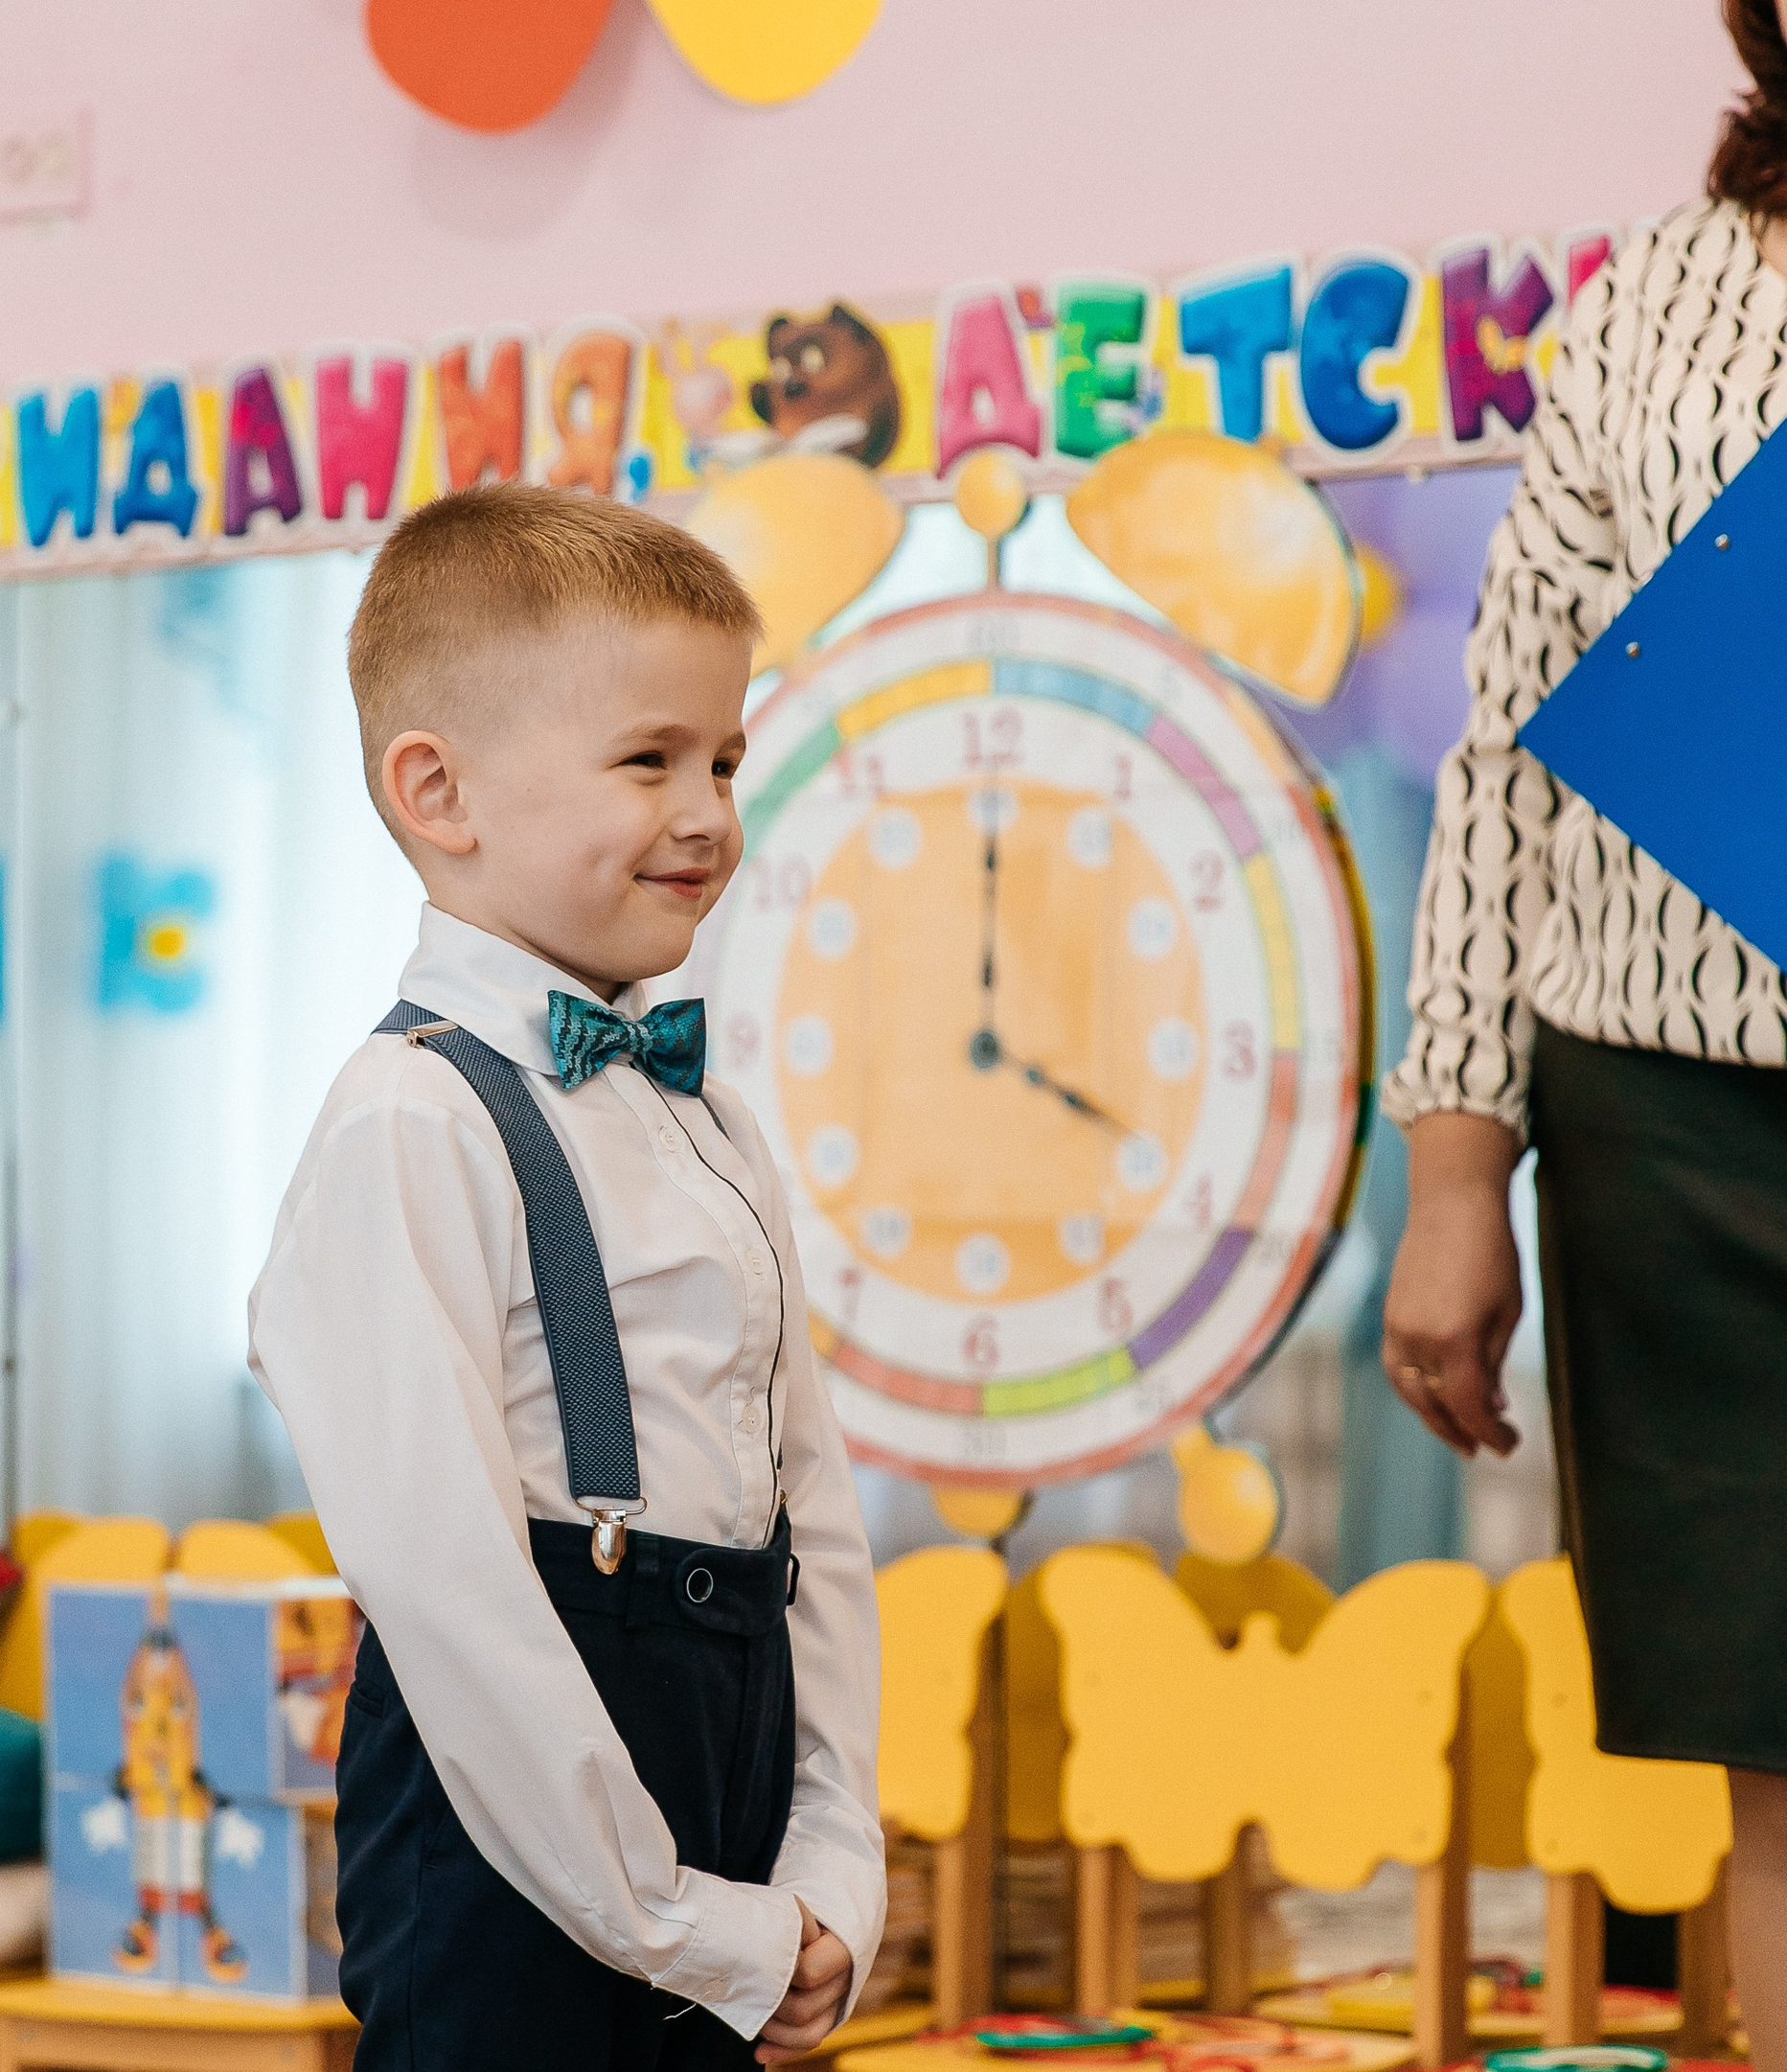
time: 4:00
